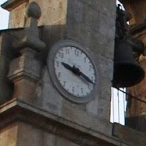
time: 9:18
